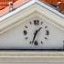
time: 1:33
